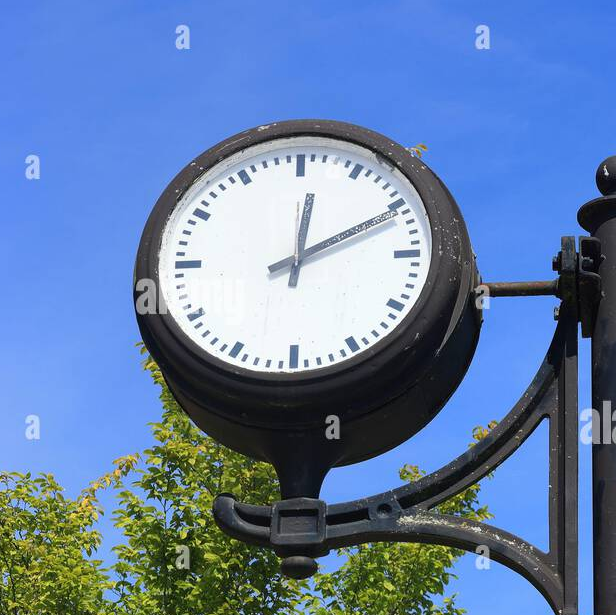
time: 12:10
